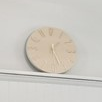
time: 1:26
